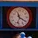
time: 11:20
